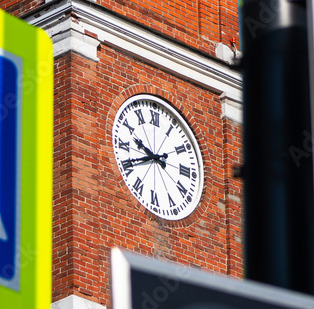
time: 9:40
